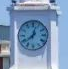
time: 12:38
